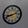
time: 8:12
